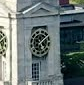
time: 5:08
